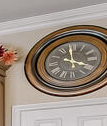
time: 3:58
